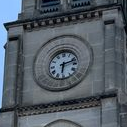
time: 6:12
